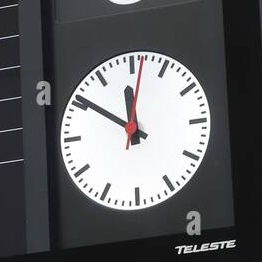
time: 11:50
